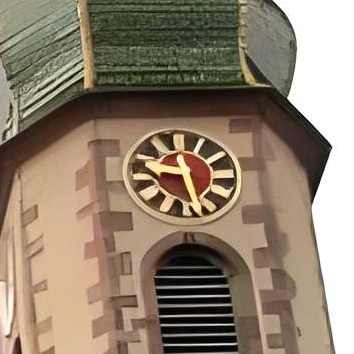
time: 9:27
